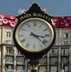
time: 3:21
